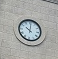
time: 10:00
